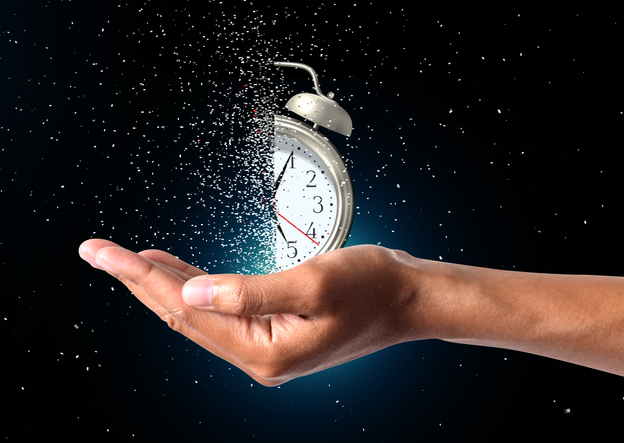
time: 5:04
